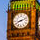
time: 8:11
